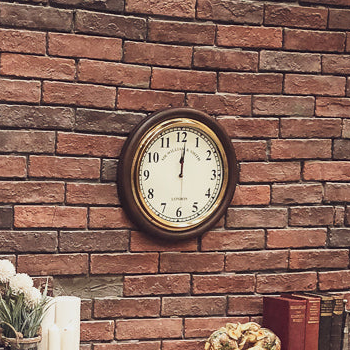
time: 12:01
